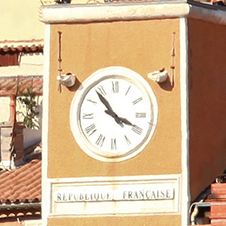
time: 3:53
